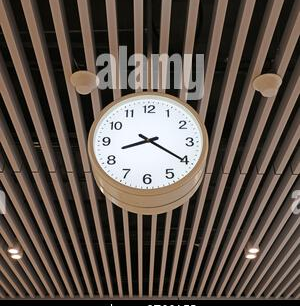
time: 8:20
